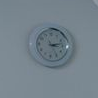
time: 3:12
